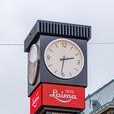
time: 2:31
